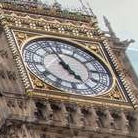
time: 4:57
